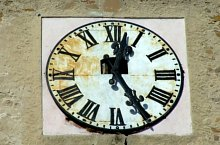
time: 12:24
